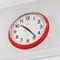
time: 10:23
